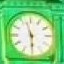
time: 5:57
